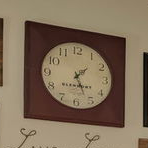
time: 1:26
